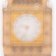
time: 9:33
